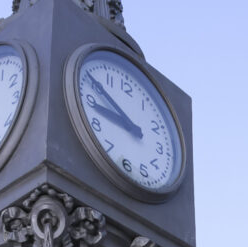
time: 8:49
